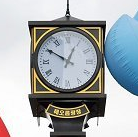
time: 12:50
